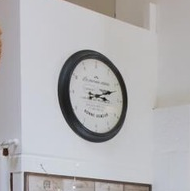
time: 3:11
